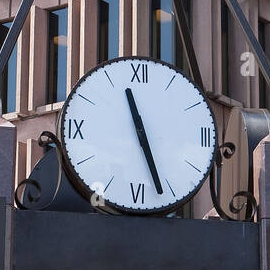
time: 11:26
